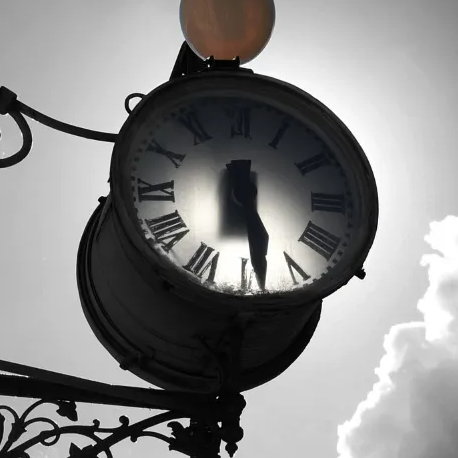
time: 6:28
